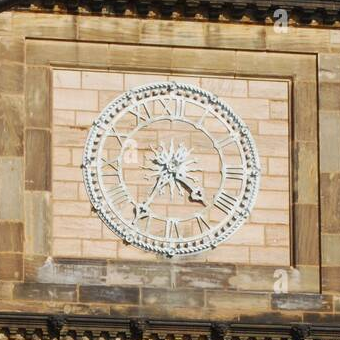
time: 4:35
